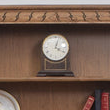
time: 4:02
